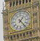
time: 1:23
